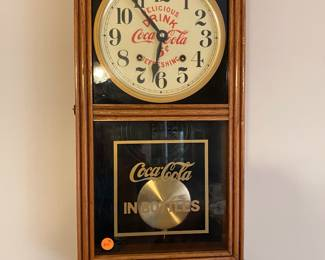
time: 10:32
